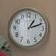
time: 1:11
